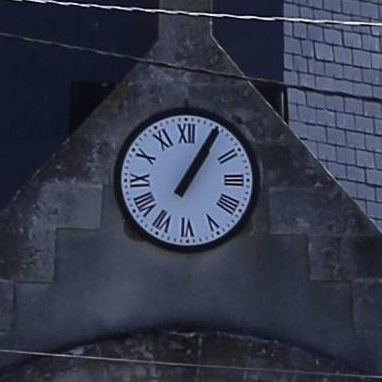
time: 1:05
